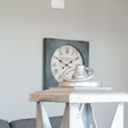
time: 1:49
